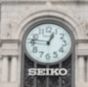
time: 12:46
